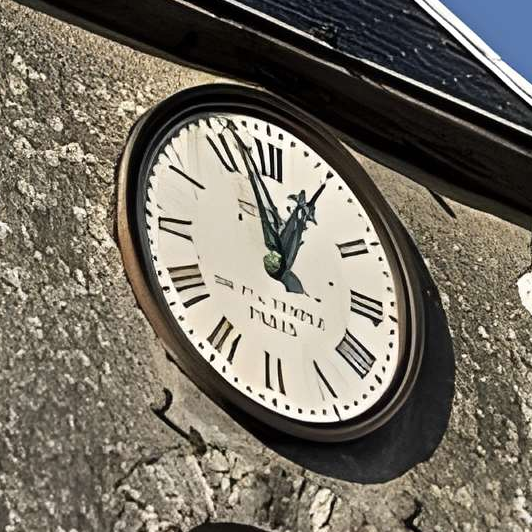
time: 12:57
